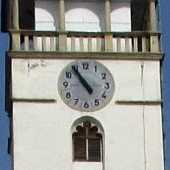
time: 10:54
